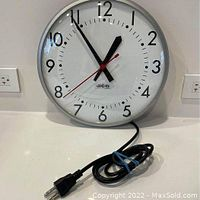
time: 12:54
